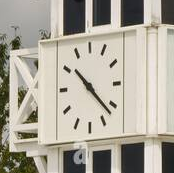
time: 10:22
